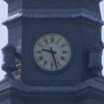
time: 9:27
